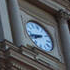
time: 7:41
